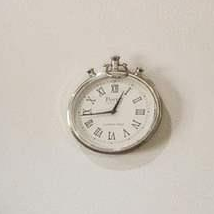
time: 12:43
